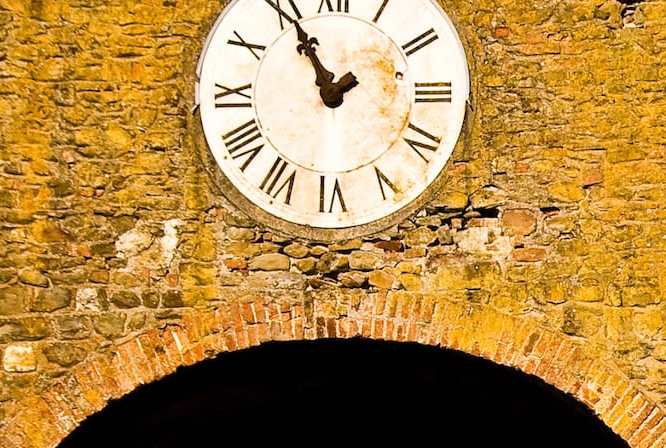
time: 10:55
